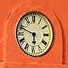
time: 5:48
